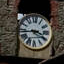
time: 3:43
